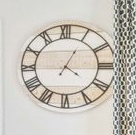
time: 4:04
